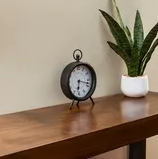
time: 6:17
